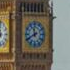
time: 11:40
